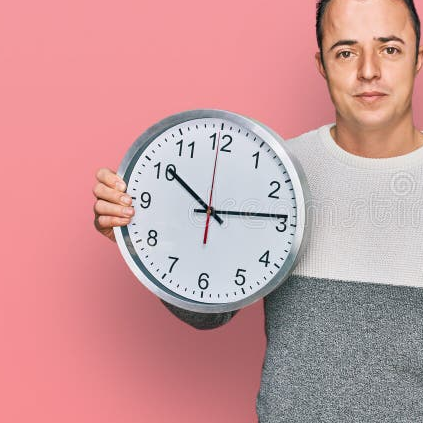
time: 10:13
